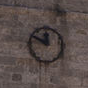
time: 11:49
